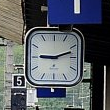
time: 9:11
